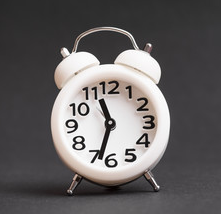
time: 11:33
